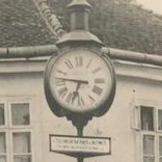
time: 6:46
